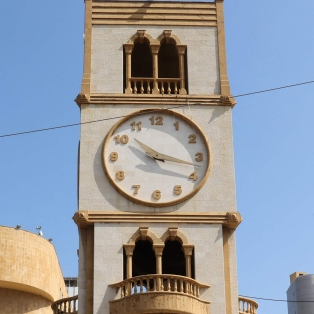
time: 10:17
